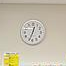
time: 12:33
